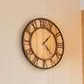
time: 1:23
